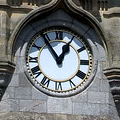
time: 12:54
